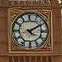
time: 4:09
